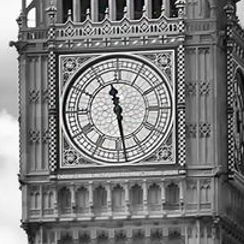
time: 11:28
